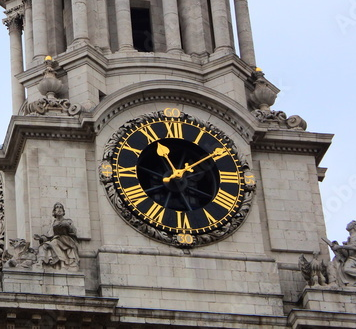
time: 1:56
